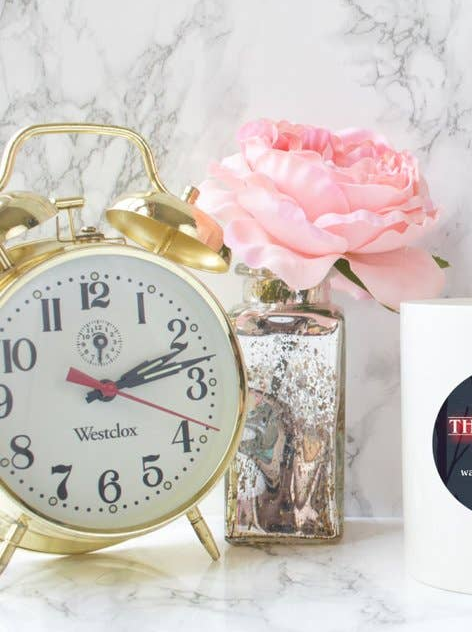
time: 2:12
